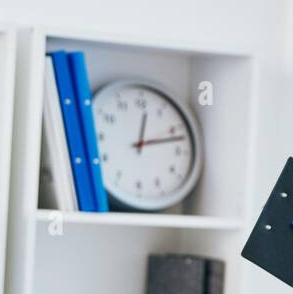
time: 12:12
